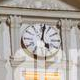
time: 5:01
